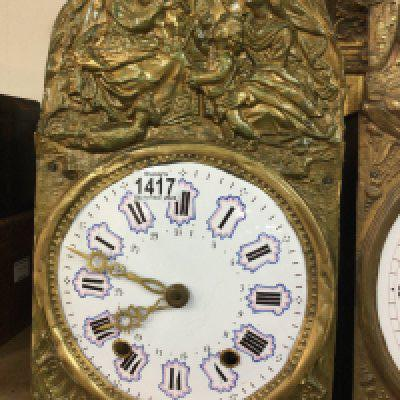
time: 7:47
